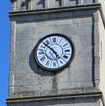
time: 4:52
